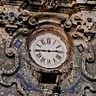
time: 2:45
